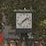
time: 1:37
